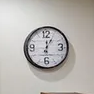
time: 12:04
